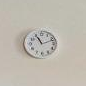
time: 11:11
